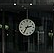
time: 2:35
